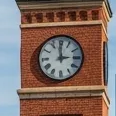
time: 2:59
